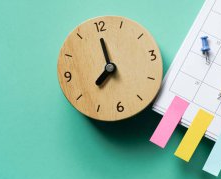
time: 7:59
